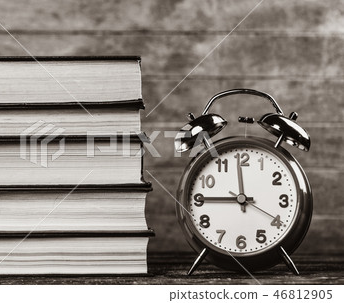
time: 11:45
